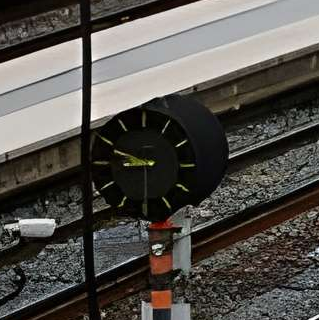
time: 8:49
